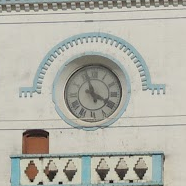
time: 3:56
